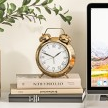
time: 1:48
